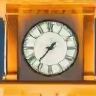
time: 7:36
